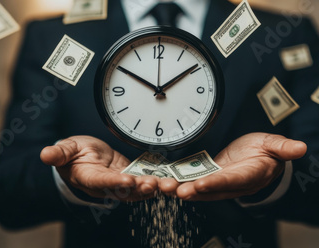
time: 1:50
